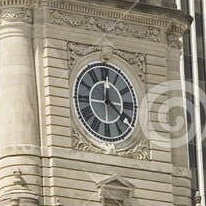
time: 12:20
